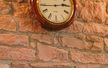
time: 2:44
